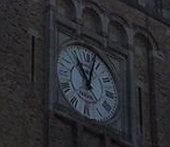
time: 11:03
